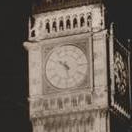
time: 10:28
